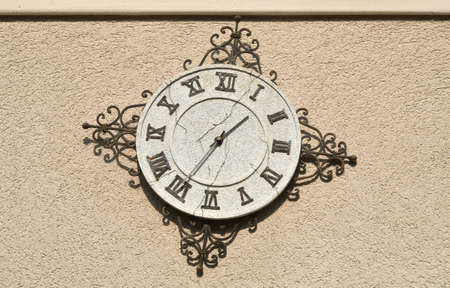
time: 1:35
